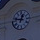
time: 12:47
